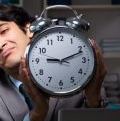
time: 9:11
